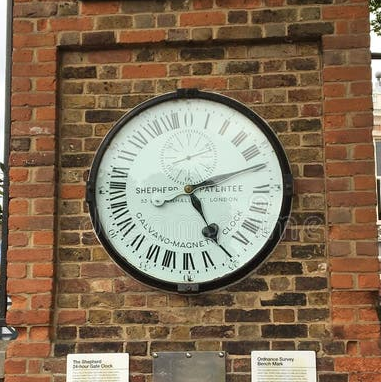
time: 5:11
